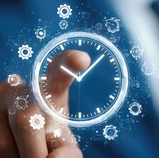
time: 10:07
